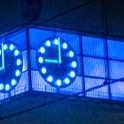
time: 9:01
